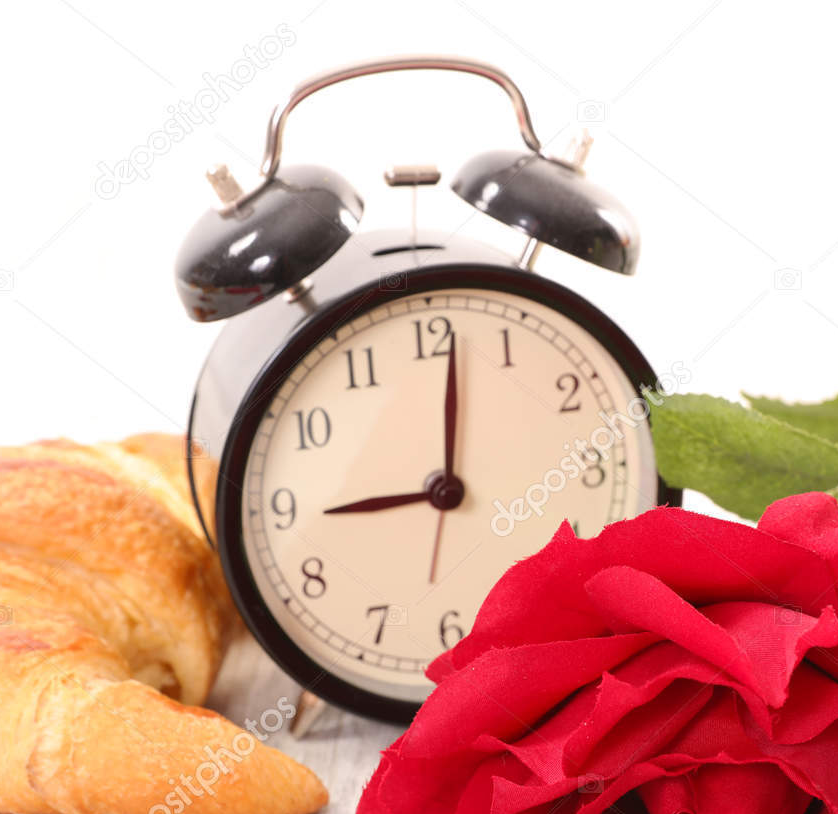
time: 9:01
